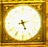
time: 5:12
